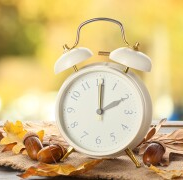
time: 2:00
